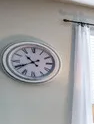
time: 10:40
